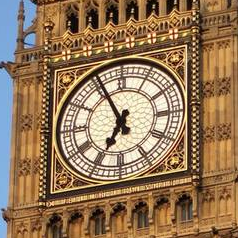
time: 6:55
